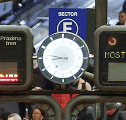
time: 8:46
